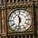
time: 11:32
